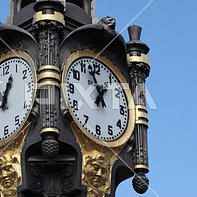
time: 12:57
